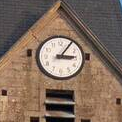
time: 3:05
